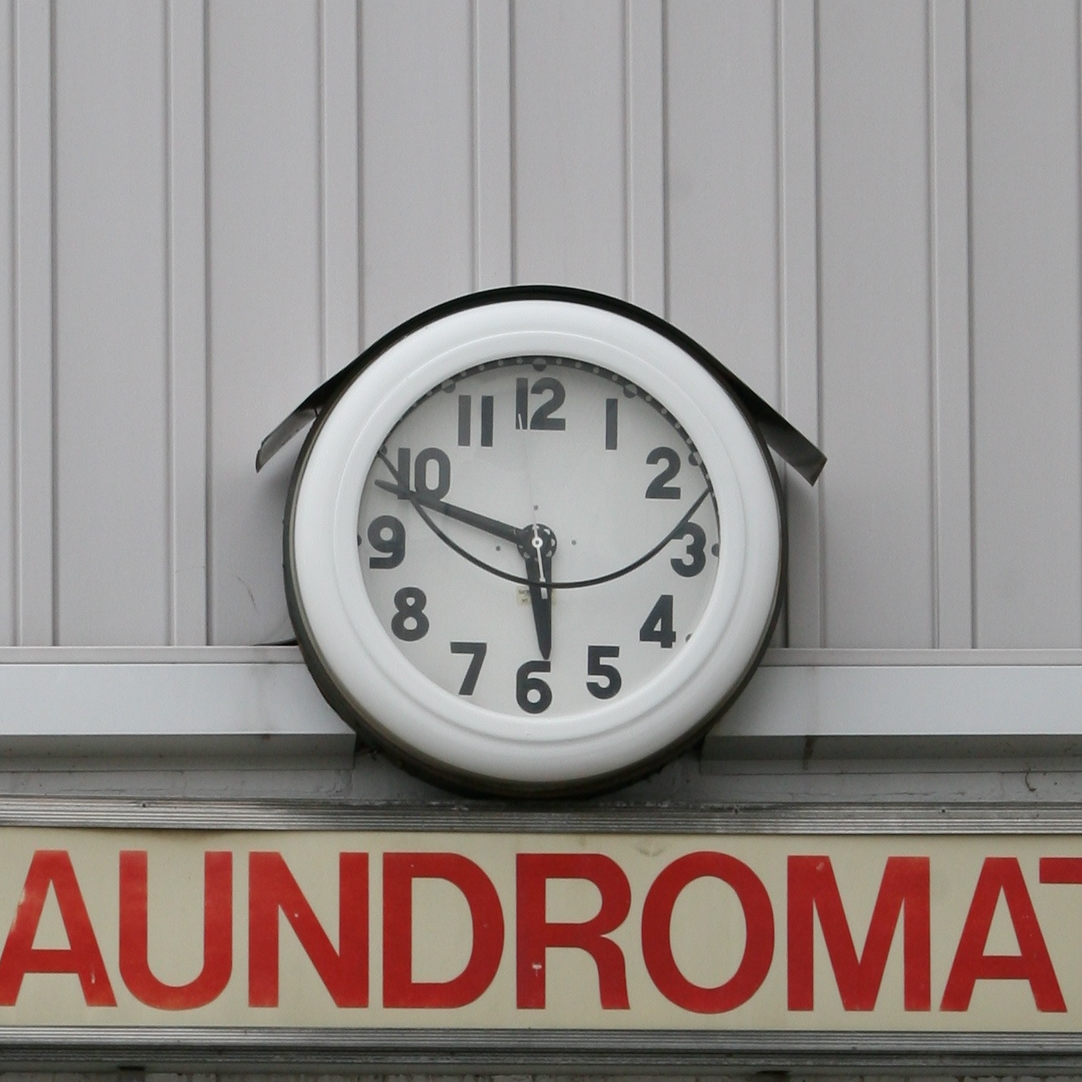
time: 5:48
